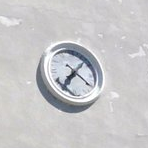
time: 7:07
